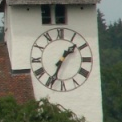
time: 1:34
